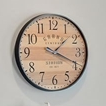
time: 1:18
